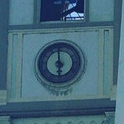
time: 5:59
